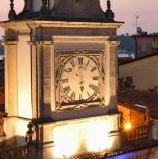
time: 5:59
